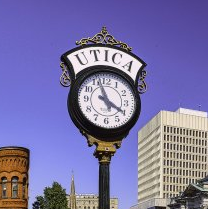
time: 3:57
